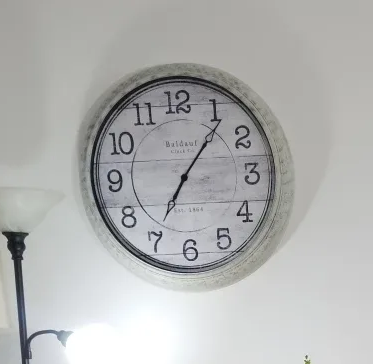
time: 7:06
